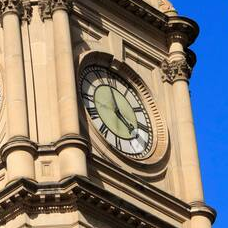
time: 3:57
